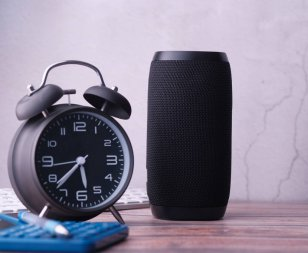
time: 5:37
